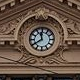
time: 11:39
